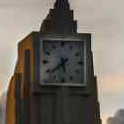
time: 5:38
